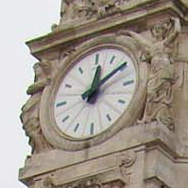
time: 12:09
